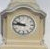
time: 9:45
